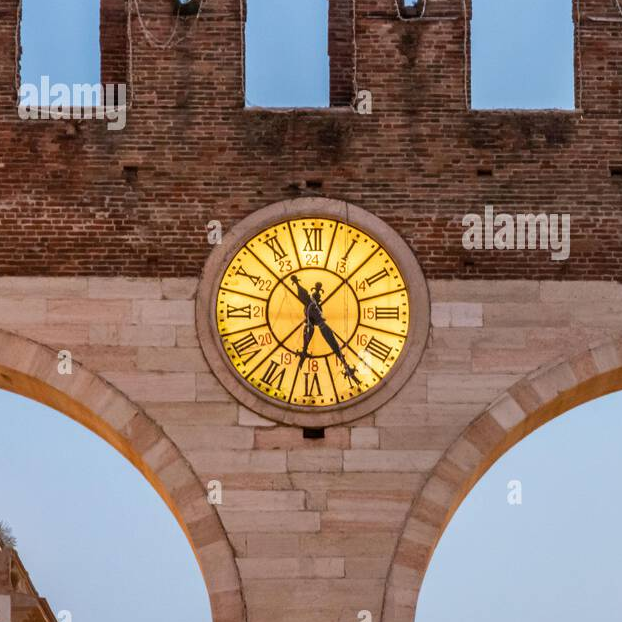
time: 6:24
